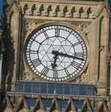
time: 6:16
